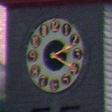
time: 2:19
